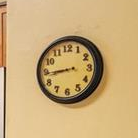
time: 8:44
